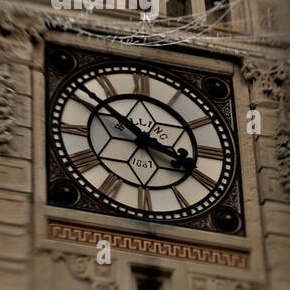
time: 3:51
